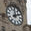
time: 1:59
